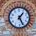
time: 1:25
